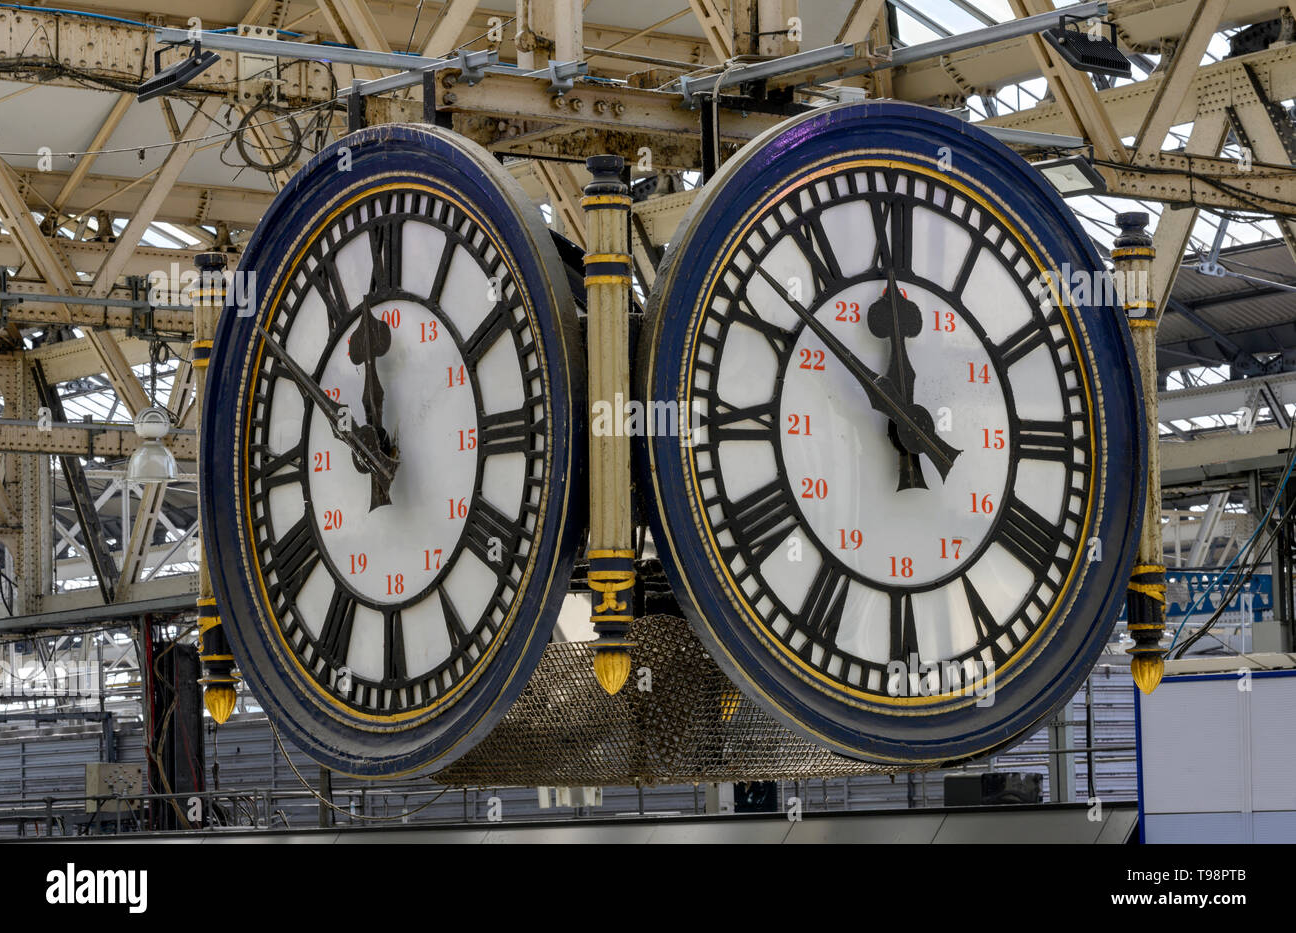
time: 11:51
